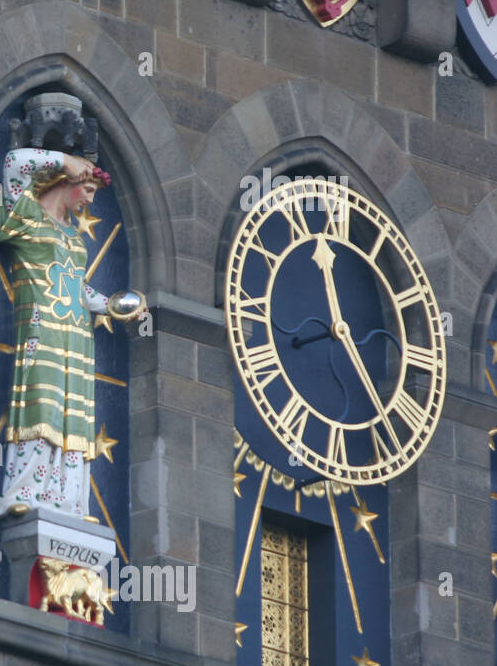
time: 11:23
